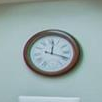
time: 12:18
